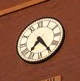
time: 7:24
